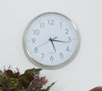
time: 5:16
